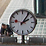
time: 2:06
